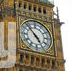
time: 4:52
